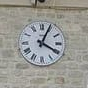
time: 4:04
